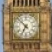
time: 6:52
